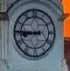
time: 8:45
